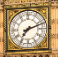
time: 7:11
